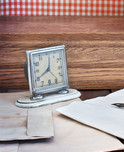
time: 8:01
